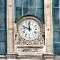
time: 11:48
